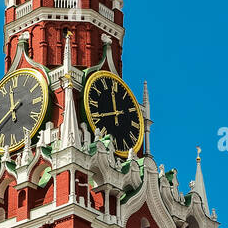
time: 11:40
